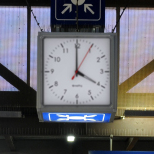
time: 4:00
